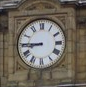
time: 8:45
